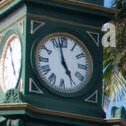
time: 4:57
